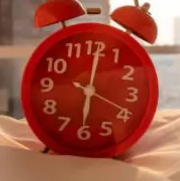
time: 6:01
